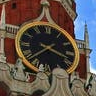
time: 3:38
